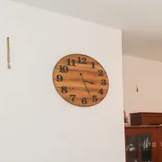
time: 3:26
